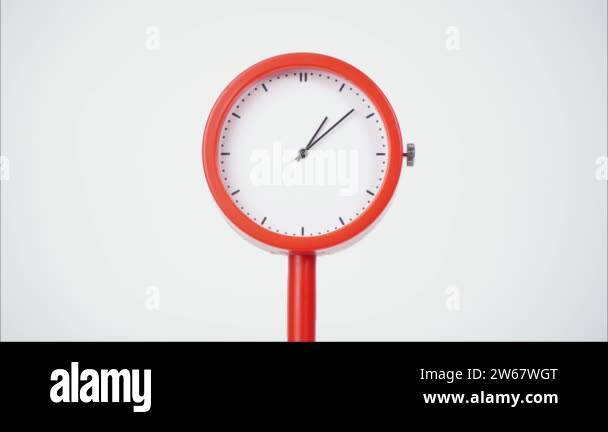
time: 1:07
